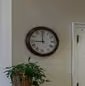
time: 8:59
